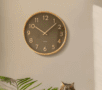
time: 10:07
